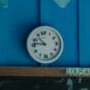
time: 10:46
